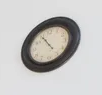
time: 4:54
